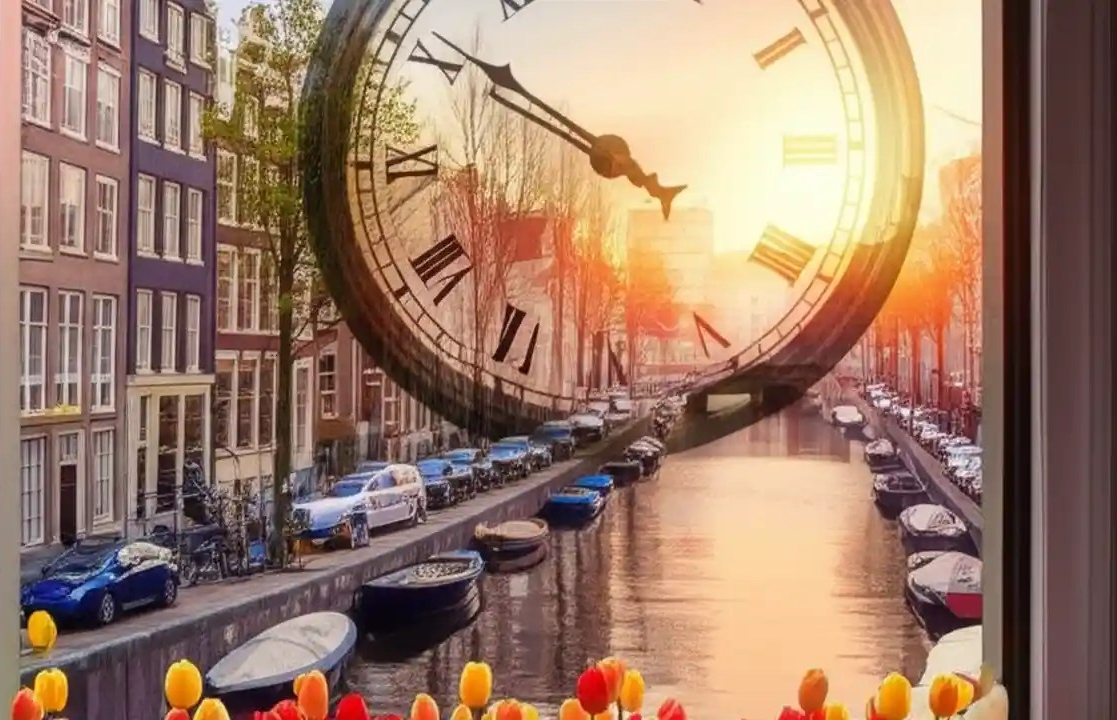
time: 9:50
